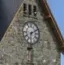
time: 6:10
